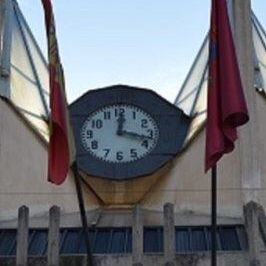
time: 12:17
